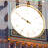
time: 9:50
